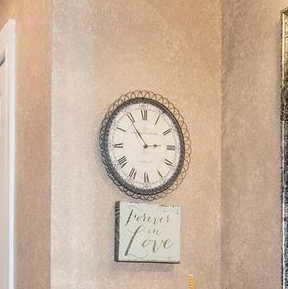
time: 2:54
